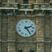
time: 2:24
